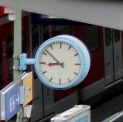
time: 8:52
